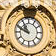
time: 10:48
